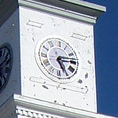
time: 5:13
